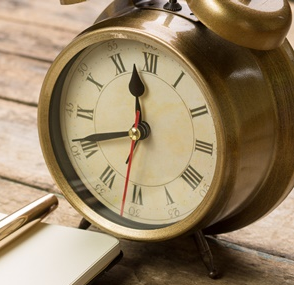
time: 11:41
